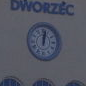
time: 12:02
